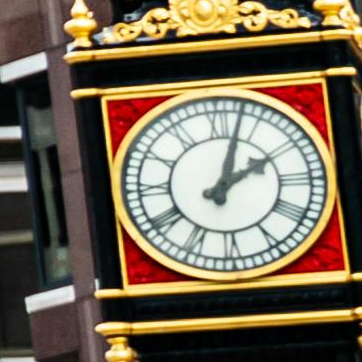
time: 2:02
